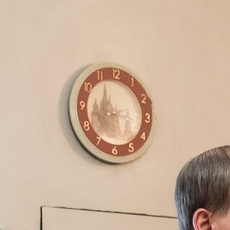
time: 8:56
